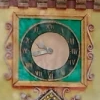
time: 9:42
